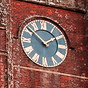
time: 1:51
